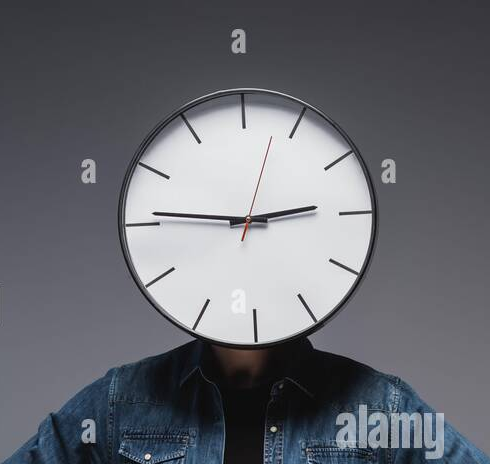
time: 2:46
